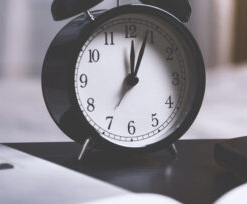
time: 12:03
